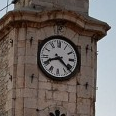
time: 8:21
